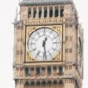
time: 12:28
